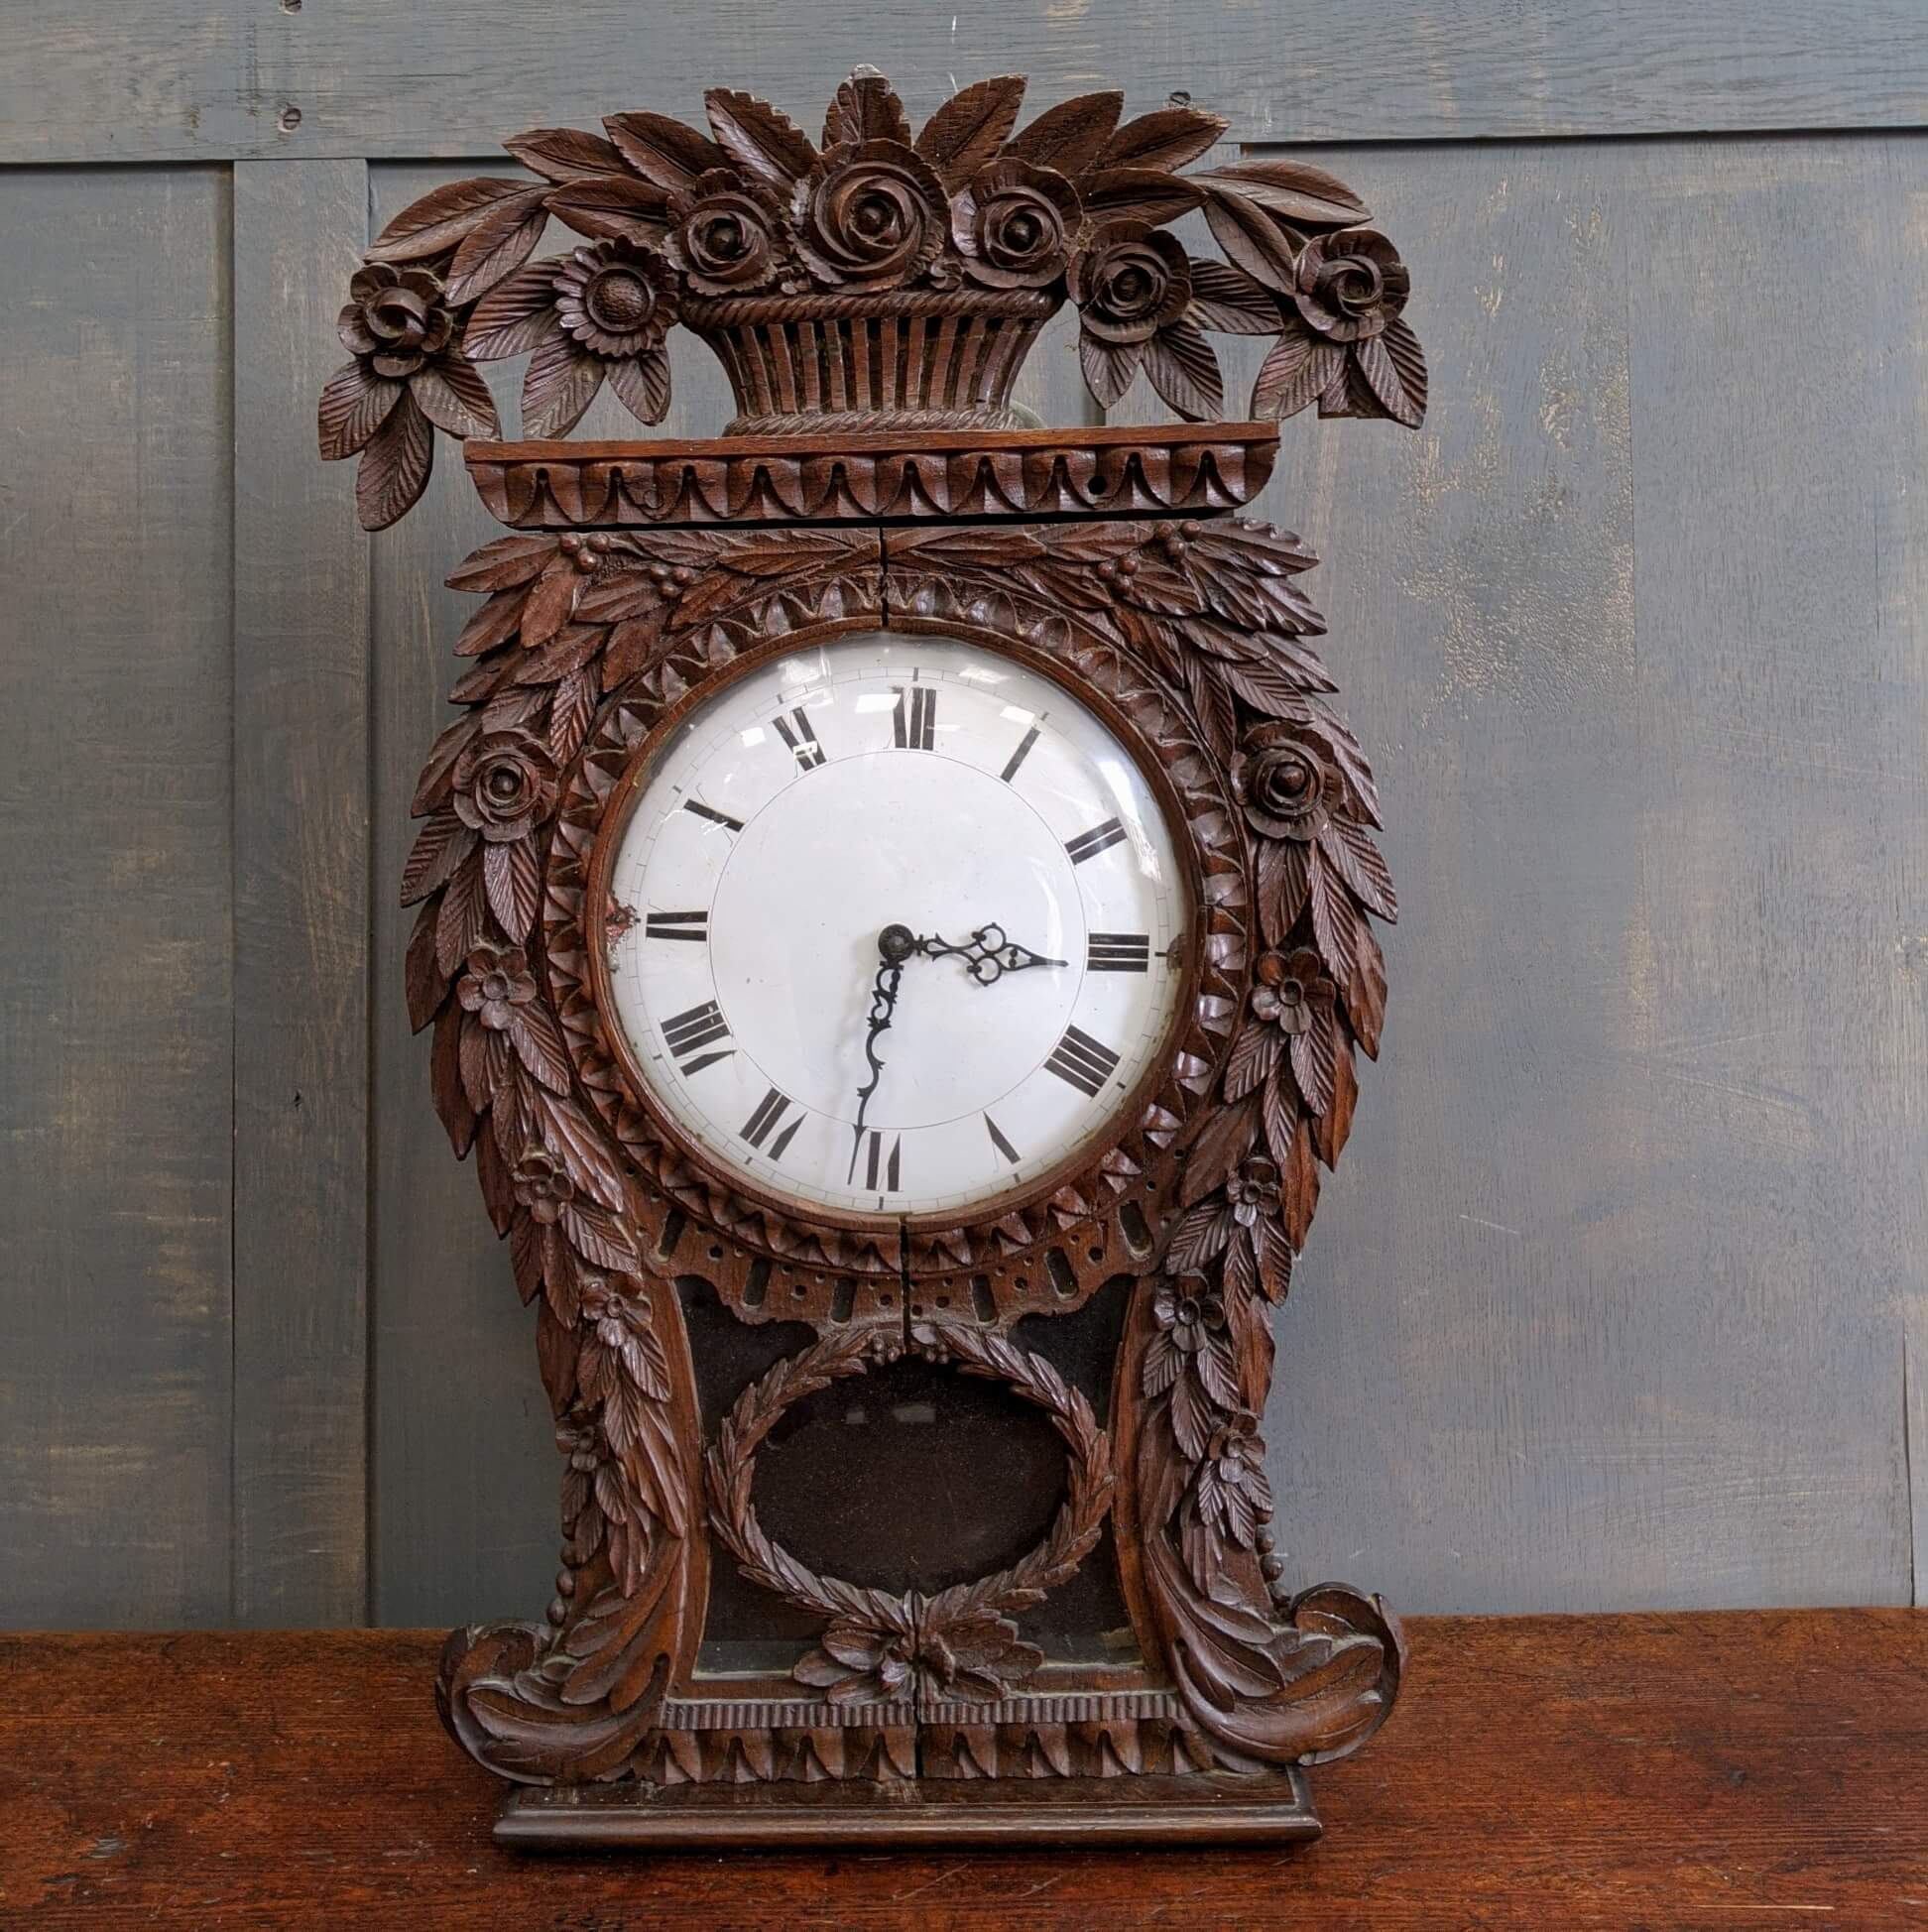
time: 6:14
